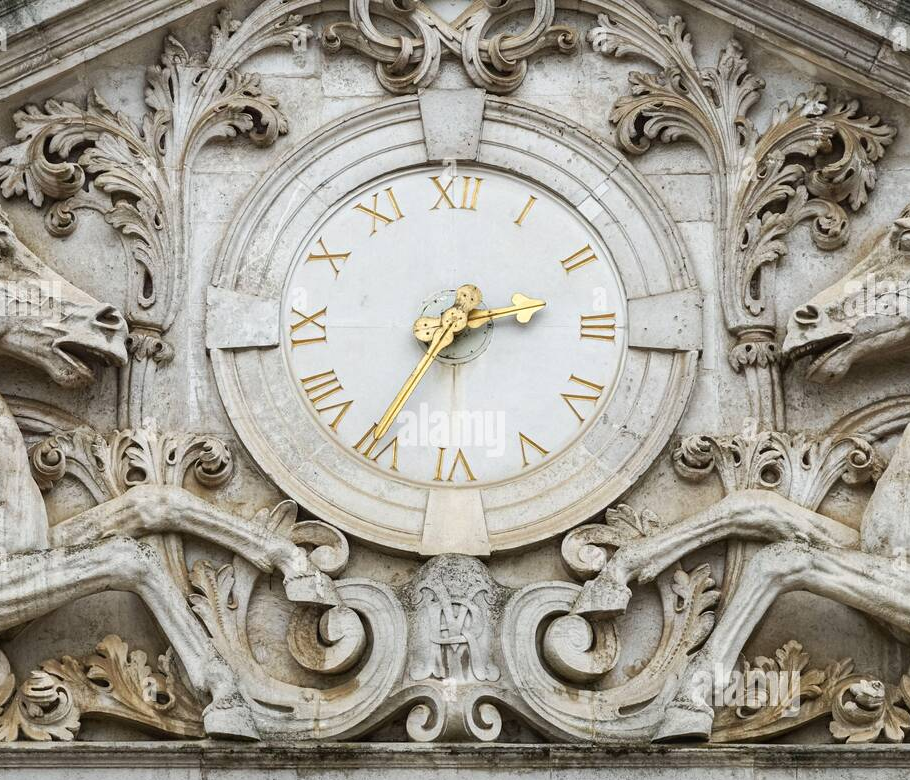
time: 2:36
